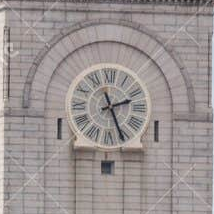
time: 2:26
